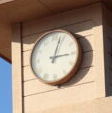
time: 3:03
